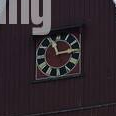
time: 11:13
